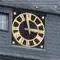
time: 2:58
